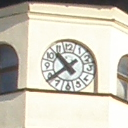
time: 10:38
